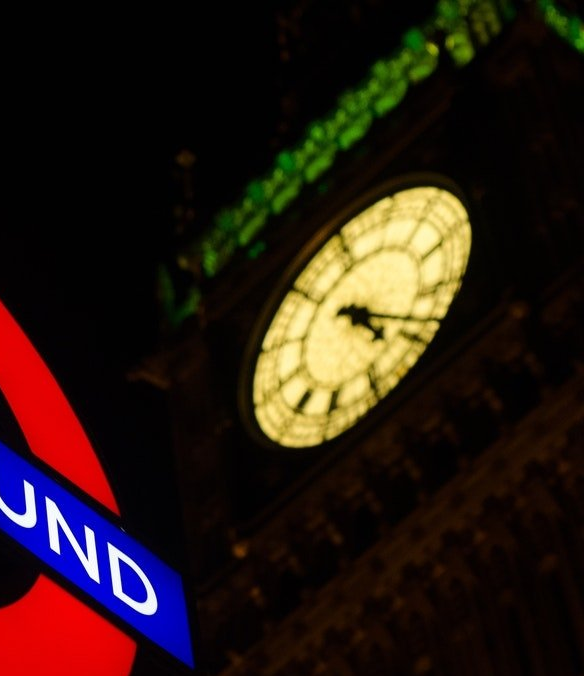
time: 4:18
